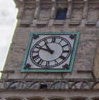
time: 10:48
